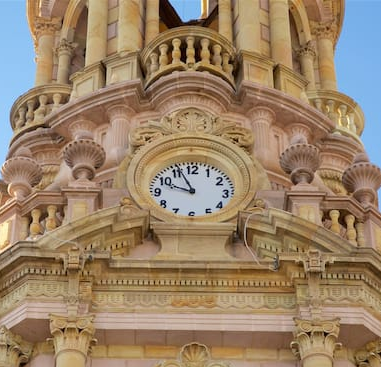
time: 9:56
